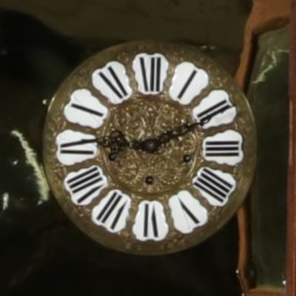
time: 9:10
